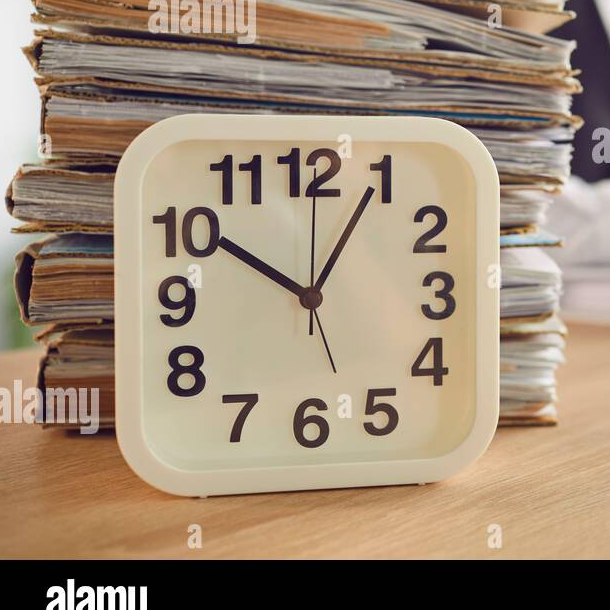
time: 10:04
